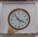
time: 3:53
